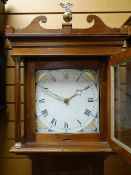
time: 1:49
